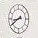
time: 8:39
